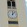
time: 12:07
